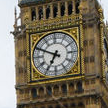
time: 6:49
